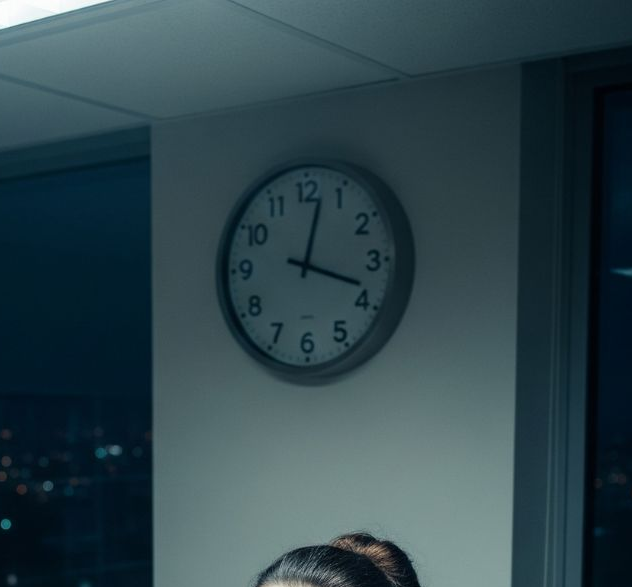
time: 12:18
